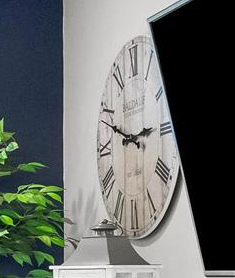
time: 2:48
